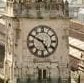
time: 4:49
